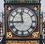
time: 11:44
